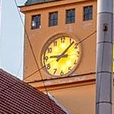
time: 9:07
